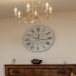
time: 12:16
